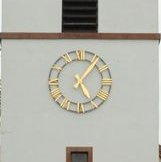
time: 5:06
